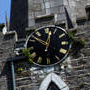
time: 10:02
